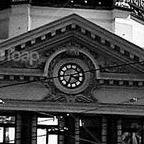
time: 4:12
